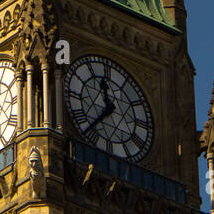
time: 11:36
